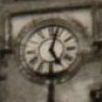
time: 5:02
